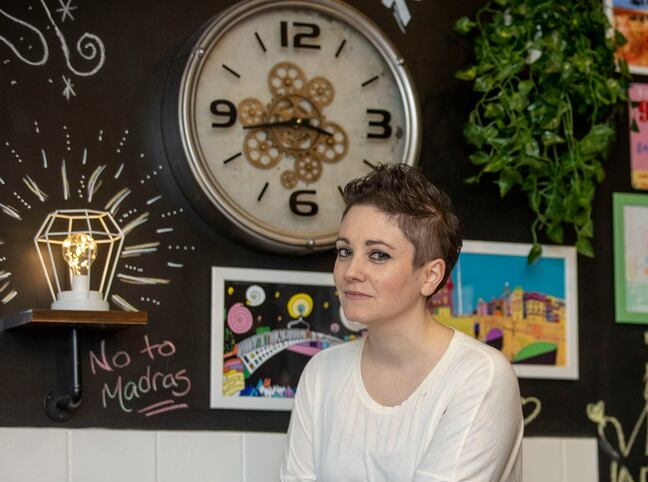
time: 3:43
